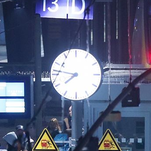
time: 7:46
